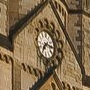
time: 7:15
